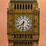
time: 7:31
